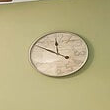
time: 11:49
